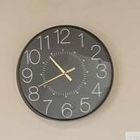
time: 10:41
